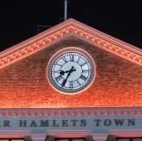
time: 8:34
